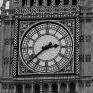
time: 2:38
